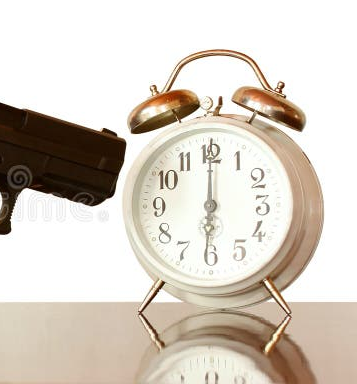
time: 6:00
